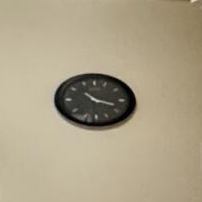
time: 10:17
